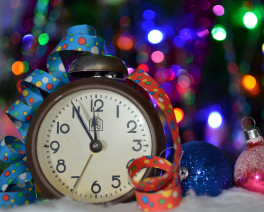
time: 11:55
